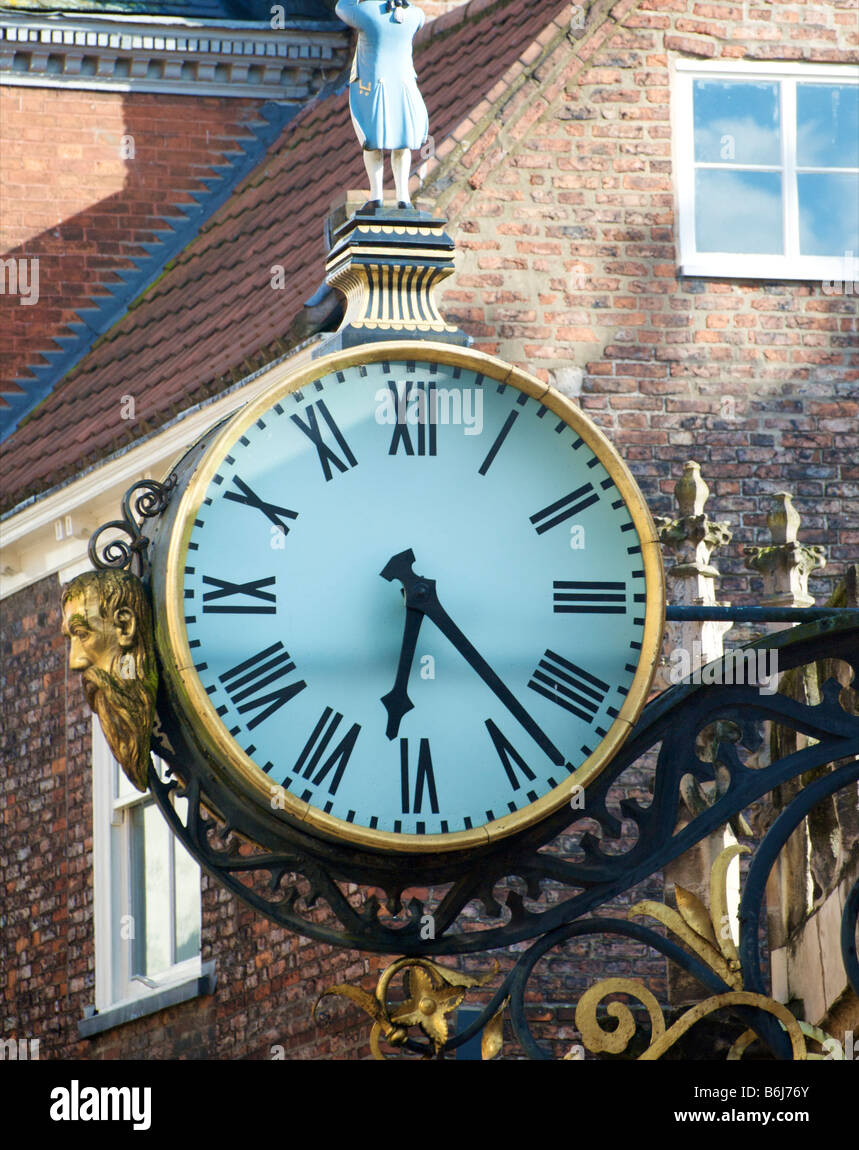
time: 6:23
